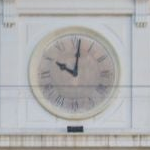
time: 10:01
